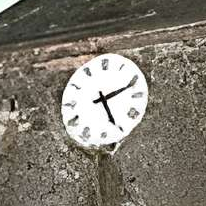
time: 5:11
